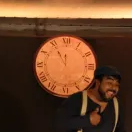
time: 11:54
